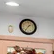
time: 1:36
